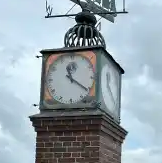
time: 11:20
